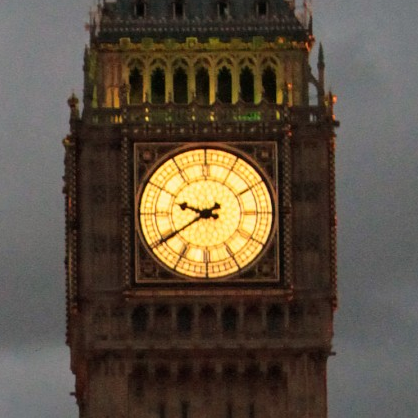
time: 9:39
